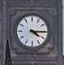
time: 4:15
